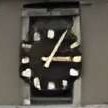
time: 3:05
